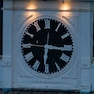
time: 6:16
